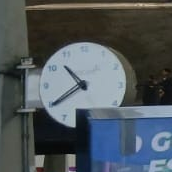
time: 10:39
